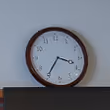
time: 3:35
